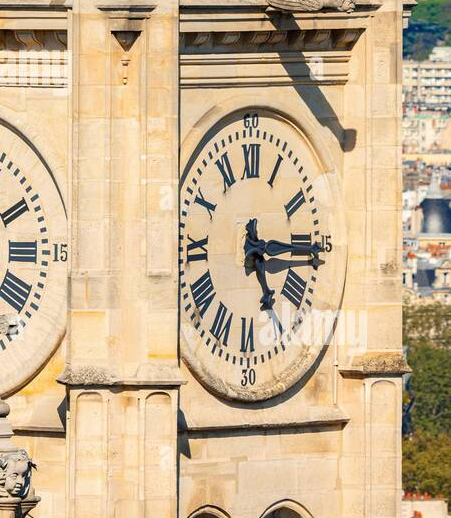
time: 5:15
